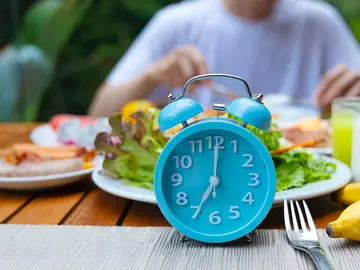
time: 7:00
